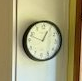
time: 12:48
